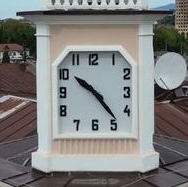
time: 10:23
